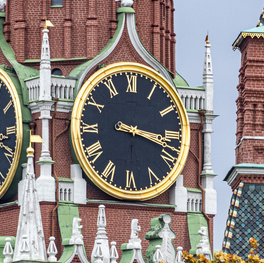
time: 3:17
